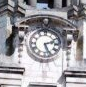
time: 2:26
